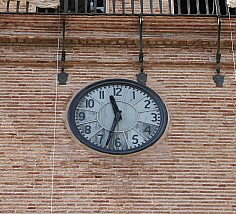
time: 11:32
